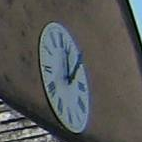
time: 12:07
